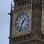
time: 1:33
